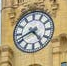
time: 4:41
